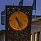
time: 4:26
